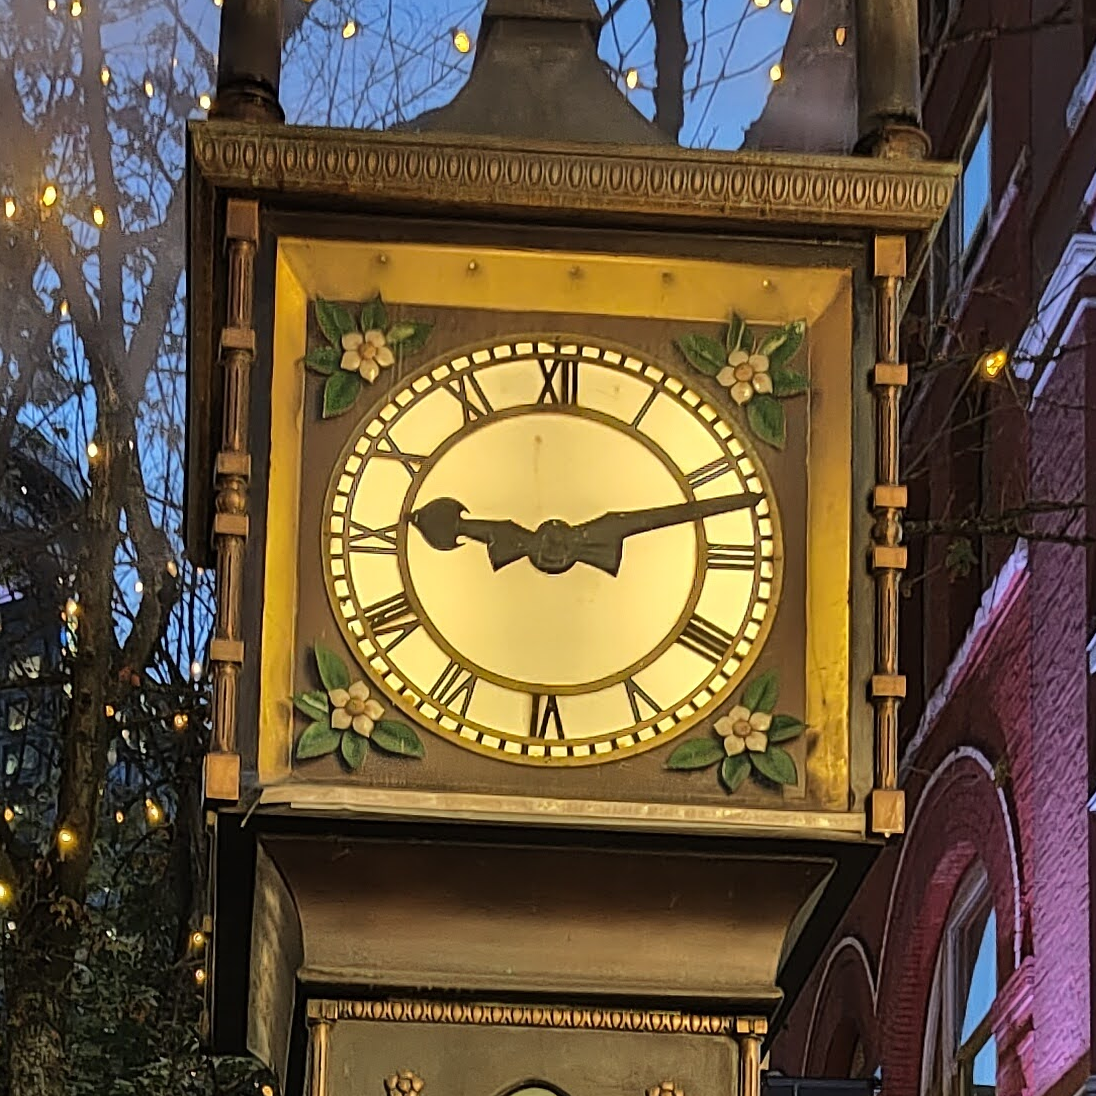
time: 9:12
